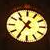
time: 10:35
